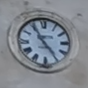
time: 4:54
